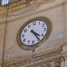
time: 4:24
